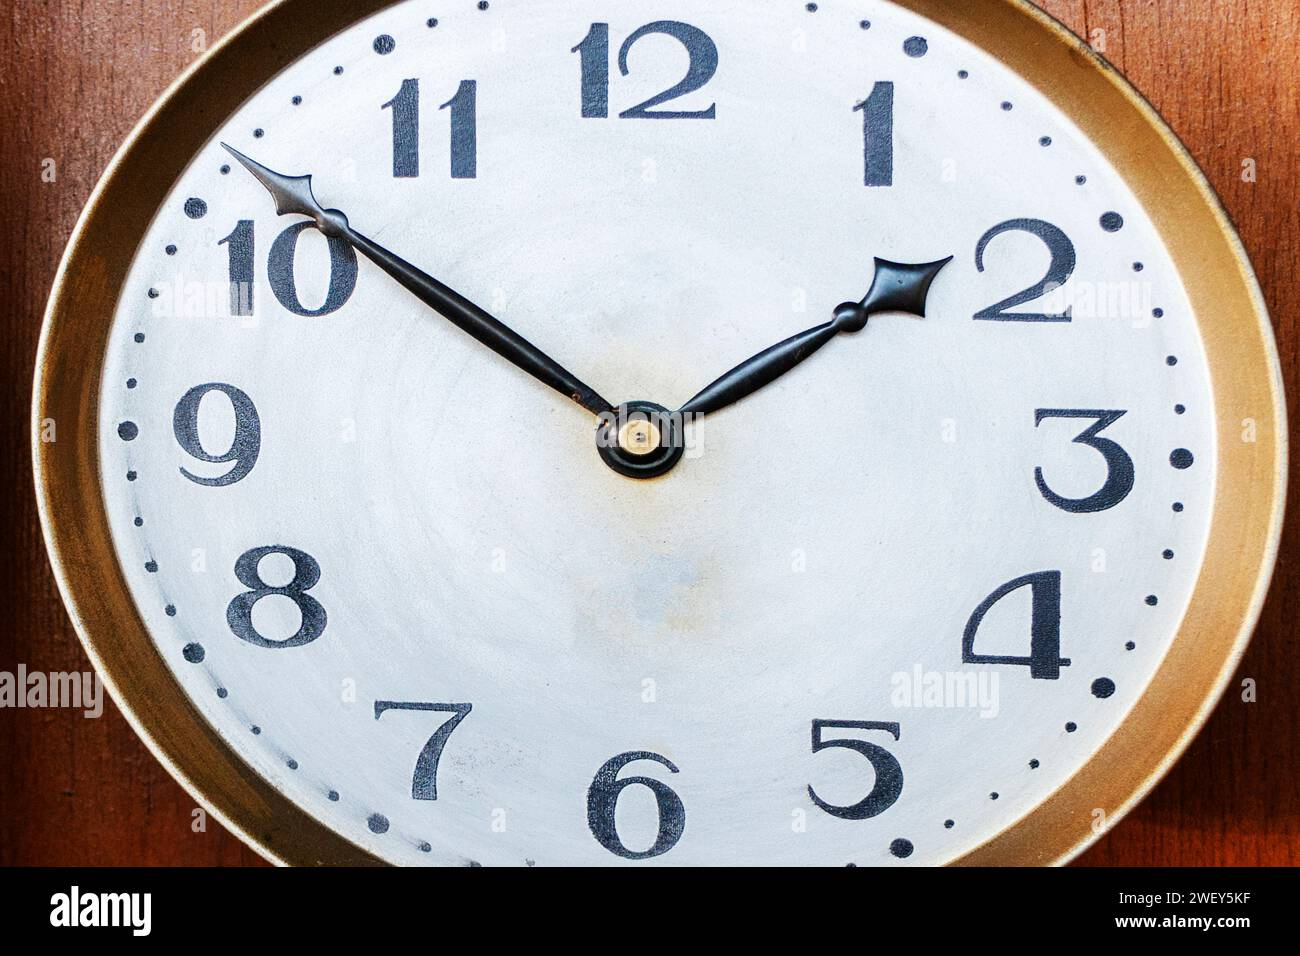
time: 1:51
